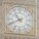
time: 10:41
